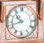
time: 10:42
